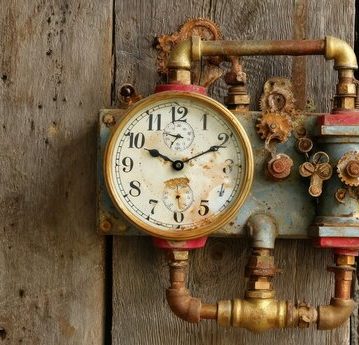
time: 10:10
